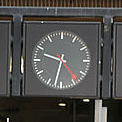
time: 9:32
